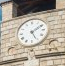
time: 5:09
